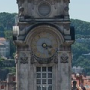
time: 3:23
